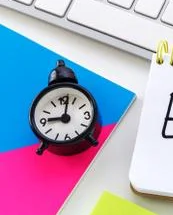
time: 9:01
